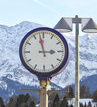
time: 2:57
